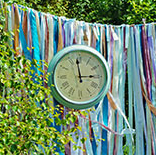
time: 2:58
